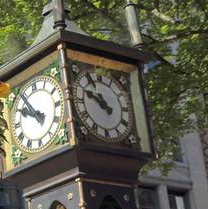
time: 10:49
